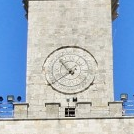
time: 10:39
